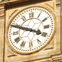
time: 3:48
